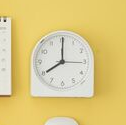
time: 8:00
